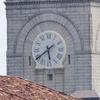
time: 5:38
